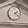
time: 2:21
